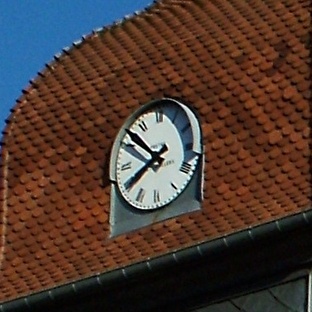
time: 7:51
